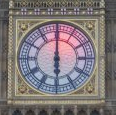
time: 5:59
